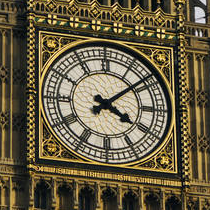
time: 4:08
